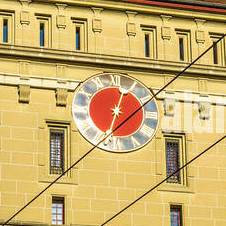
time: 12:32
